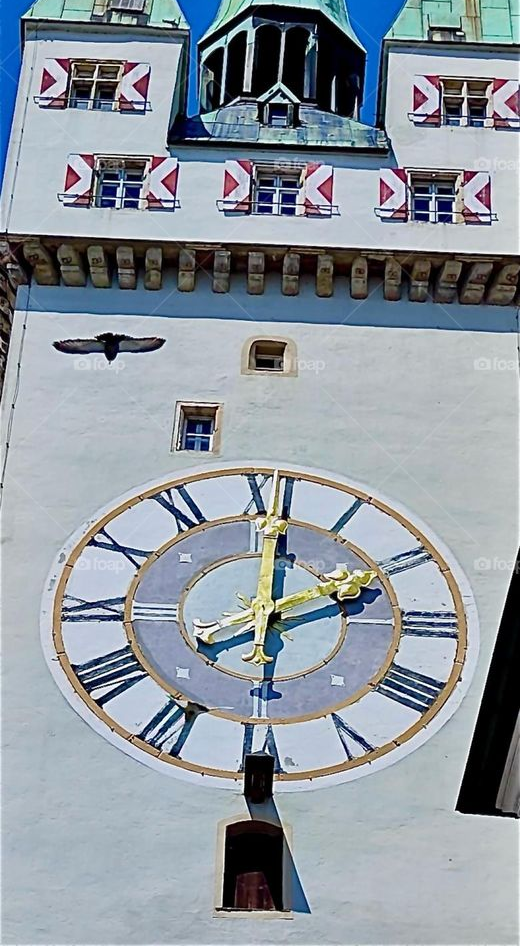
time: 2:01
